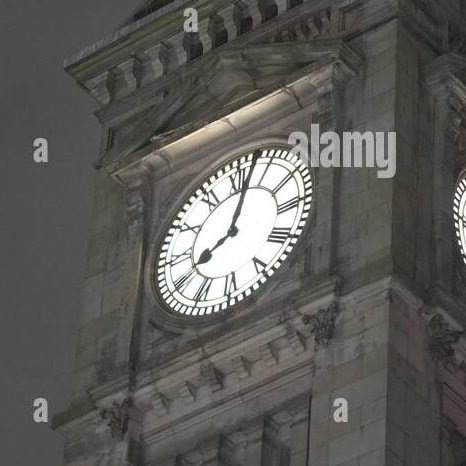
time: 8:02
